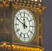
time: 11:49
